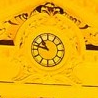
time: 10:47
